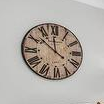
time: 11:51
